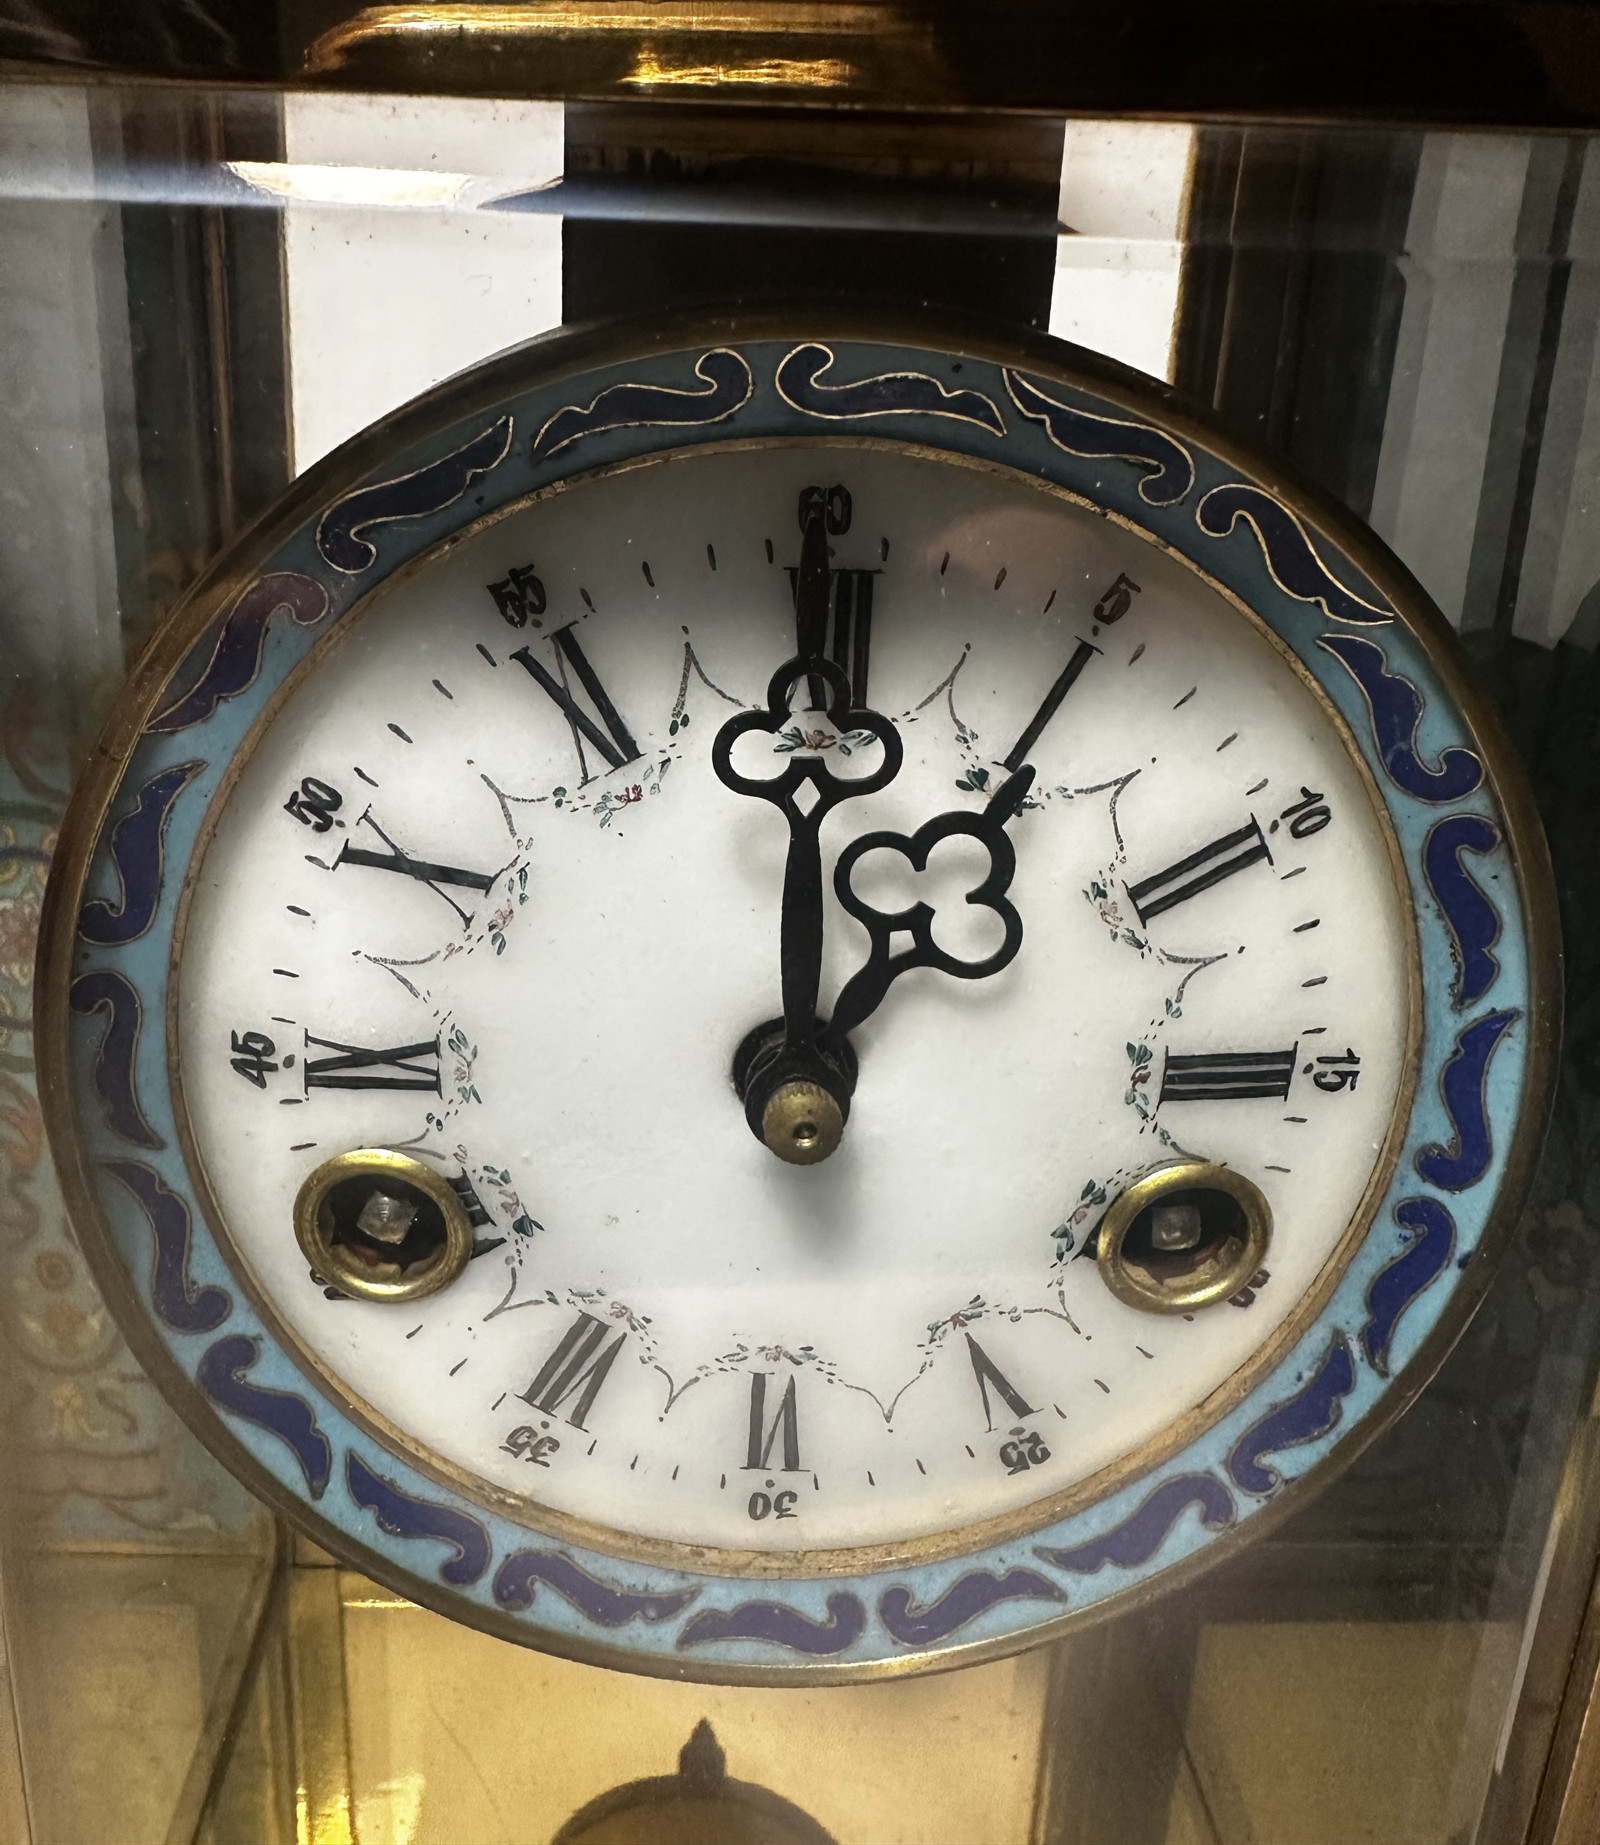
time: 1:00
